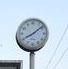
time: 8:08
